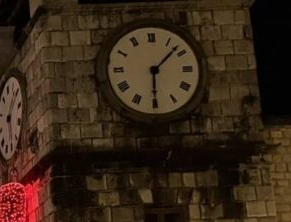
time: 1:30
